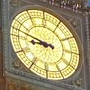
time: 8:47
